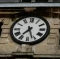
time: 7:26
